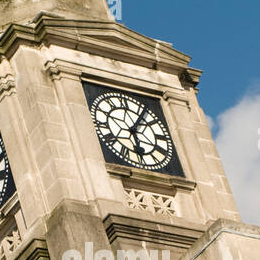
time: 6:06
